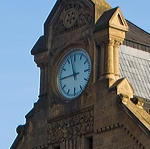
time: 11:45
